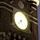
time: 7:37
